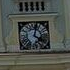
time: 4:02
